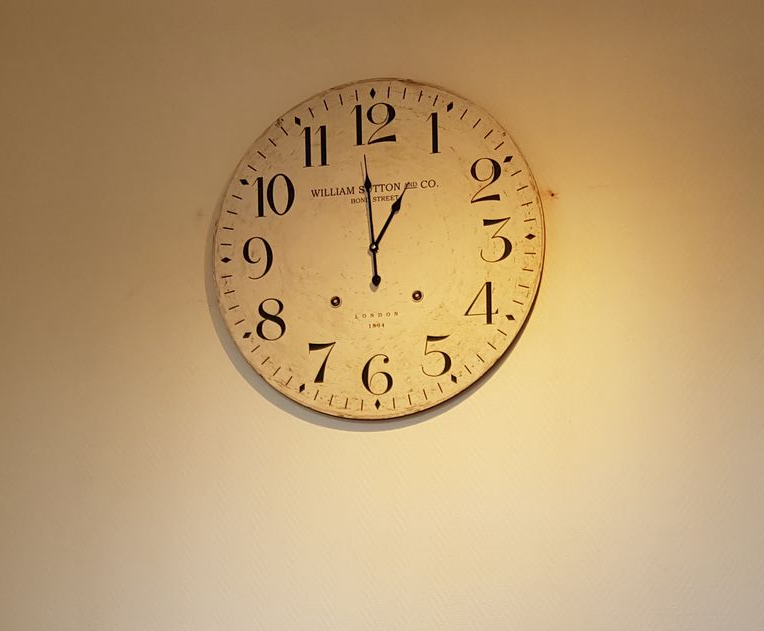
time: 12:59
